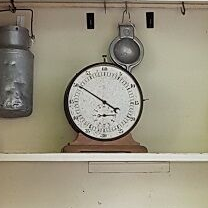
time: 3:50
